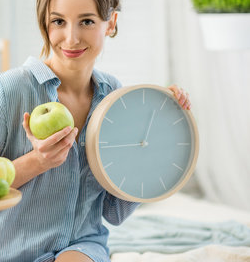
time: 12:44
